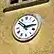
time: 2:52
